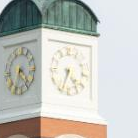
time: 4:34
